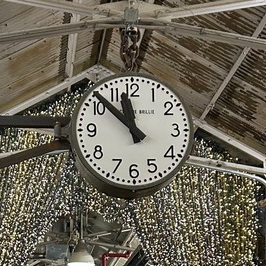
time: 11:52
